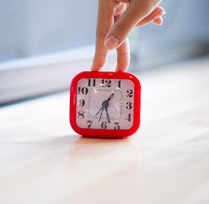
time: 1:27
